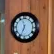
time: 11:33
